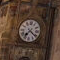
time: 7:21
